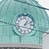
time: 1:11
